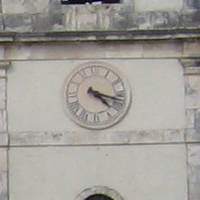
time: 4:17
